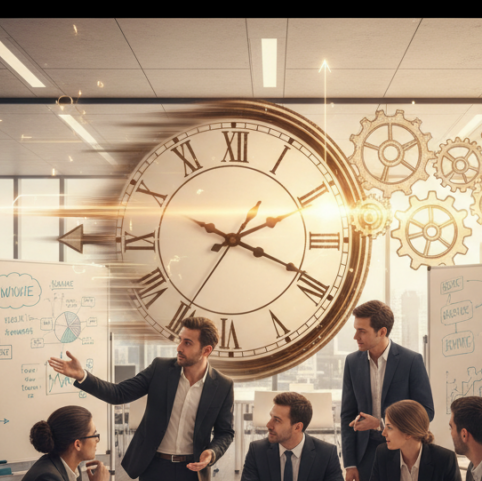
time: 2:19
